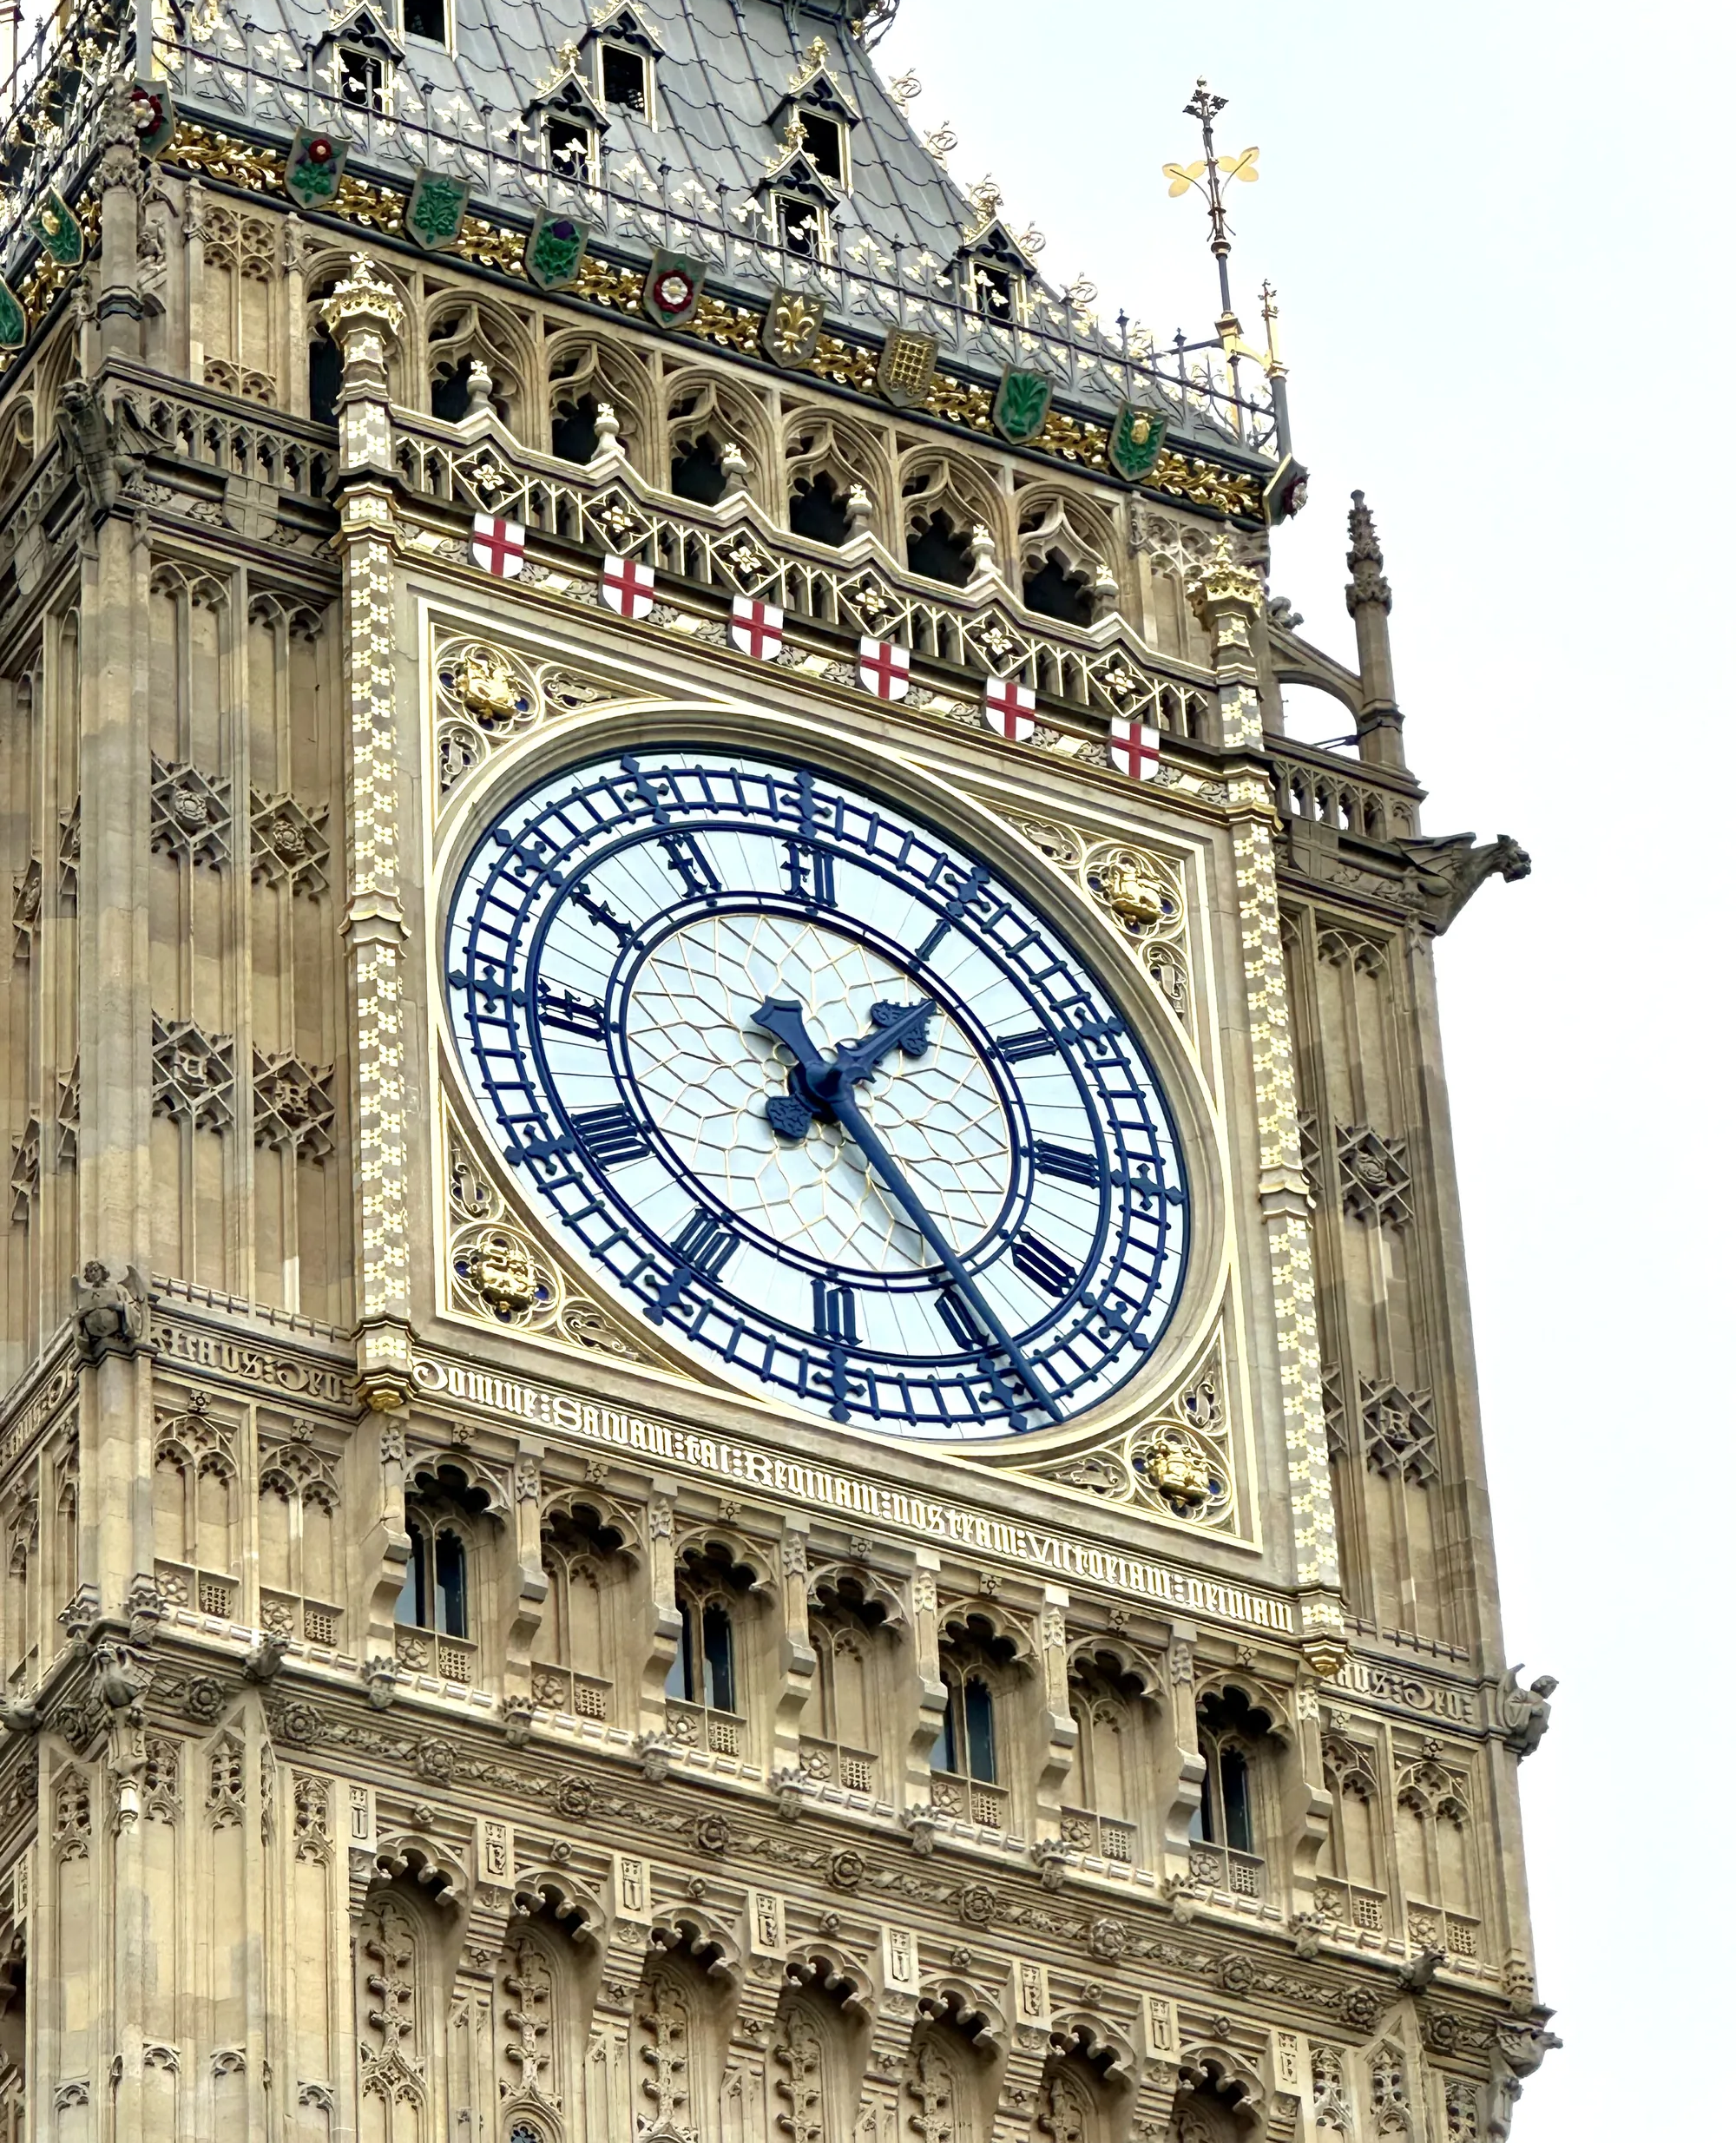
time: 1:23
